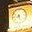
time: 8:27
